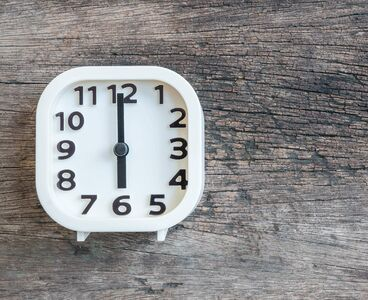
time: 5:59
